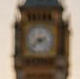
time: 8:38
